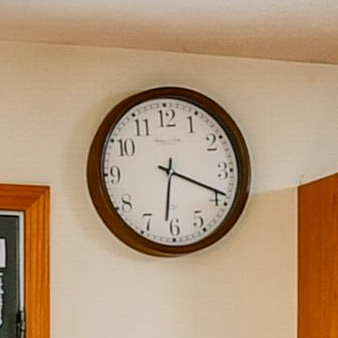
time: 6:18
